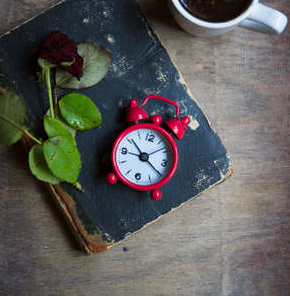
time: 10:20
